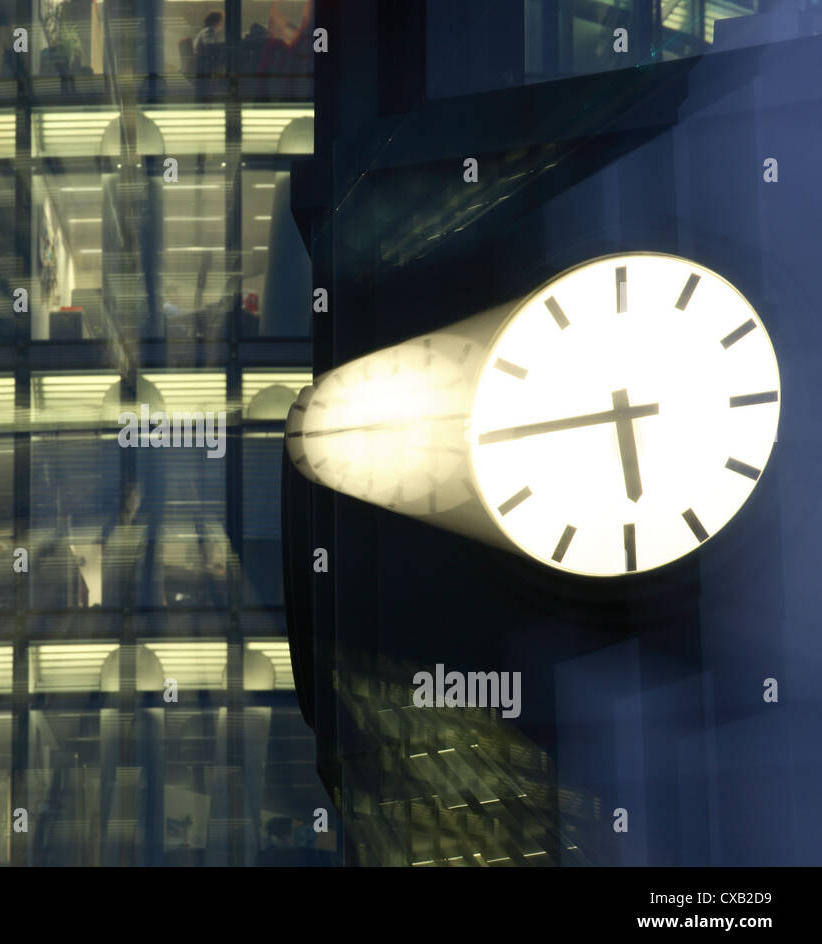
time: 5:44
